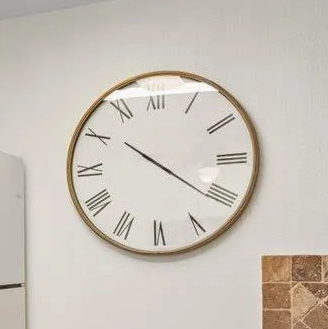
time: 10:20
